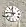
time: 11:46
